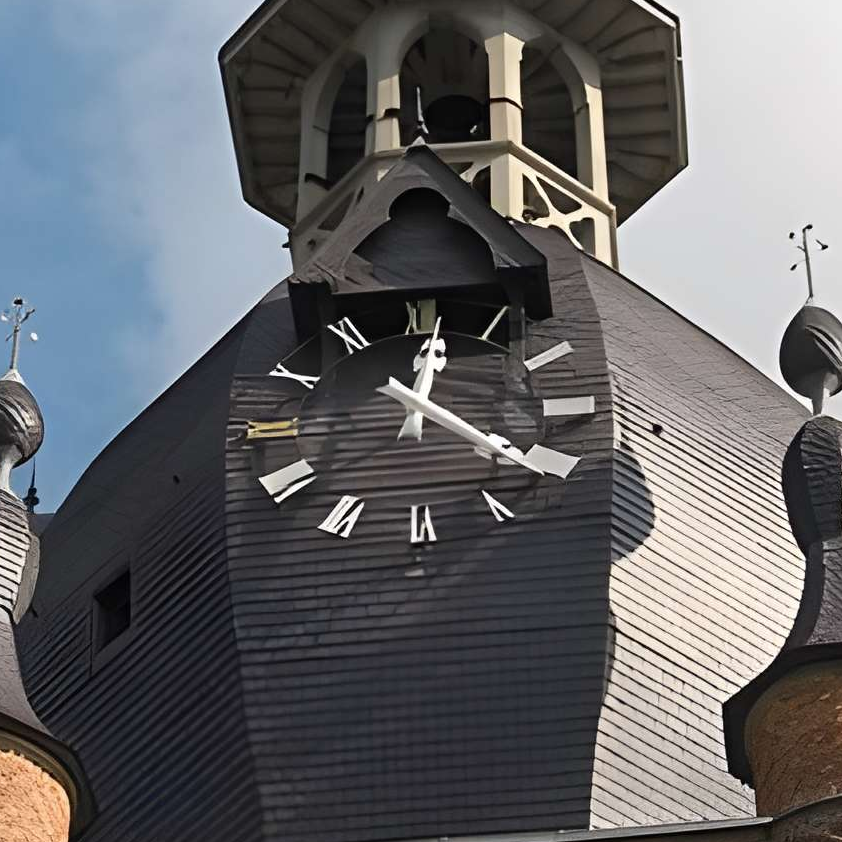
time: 12:21
